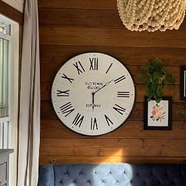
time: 6:09
